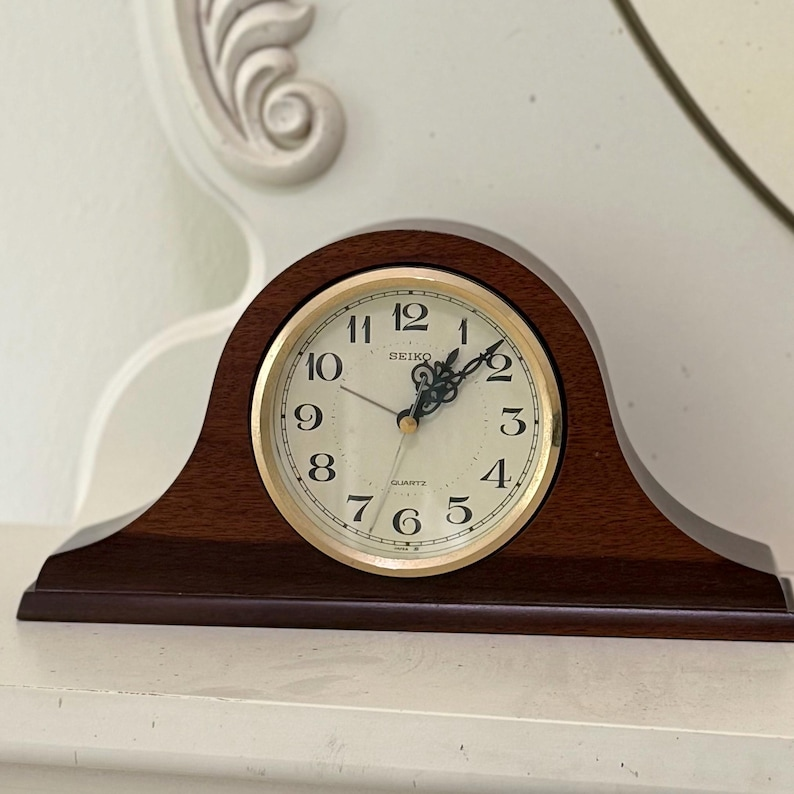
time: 1:08
